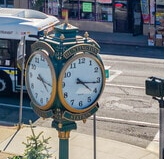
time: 4:16
